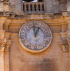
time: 12:59
